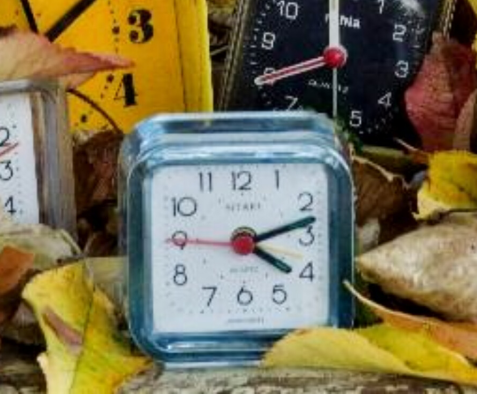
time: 4:12
